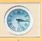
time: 3:16
